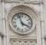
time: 3:57
